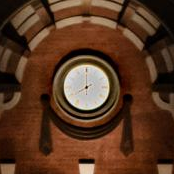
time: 8:00
